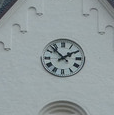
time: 1:52
